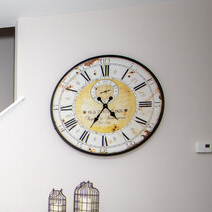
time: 4:35
